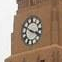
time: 3:50
